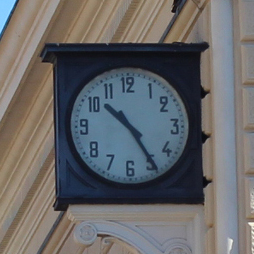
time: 10:24
